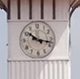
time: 10:17
